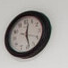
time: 12:28
